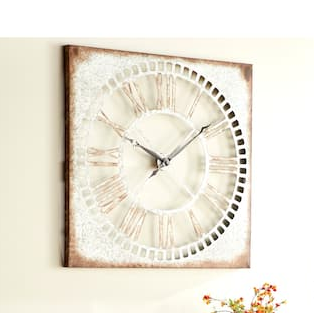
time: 10:08
